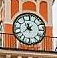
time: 11:37
